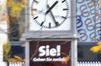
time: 1:25
